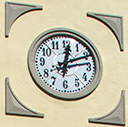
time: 12:10
